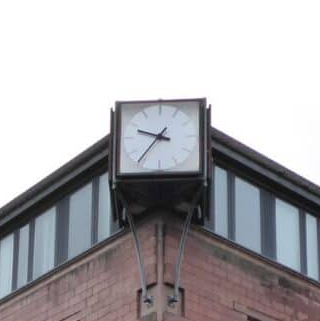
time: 9:36
